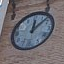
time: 12:07
